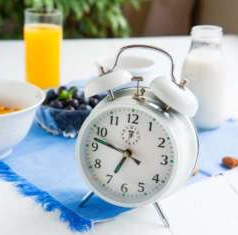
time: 6:47
